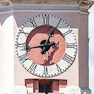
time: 12:43
